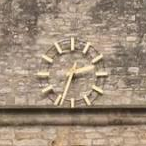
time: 2:33
